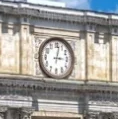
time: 3:02
